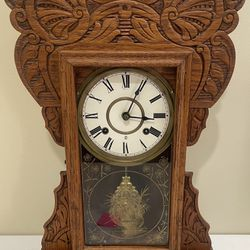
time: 3:04
